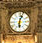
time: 6:03
